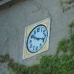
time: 10:17
